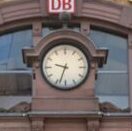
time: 9:33
